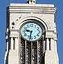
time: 9:32
